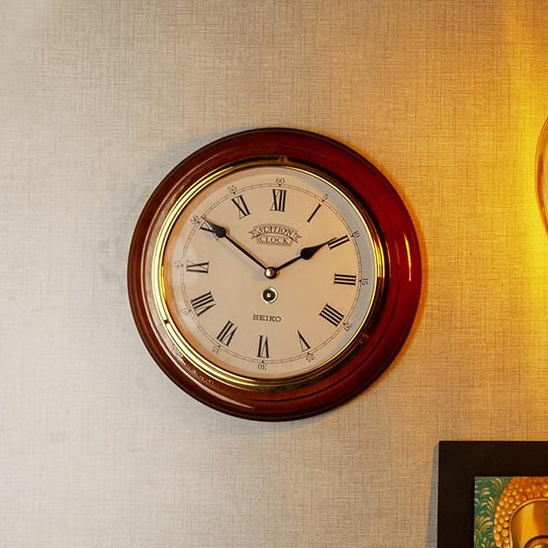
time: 1:50
